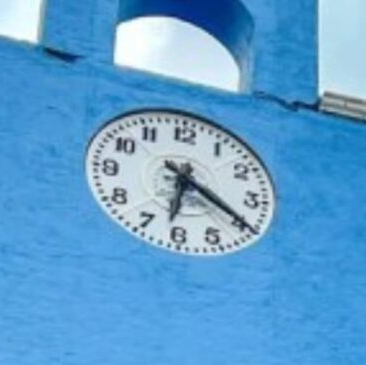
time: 6:19
